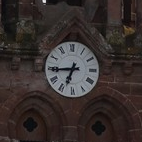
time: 6:44
